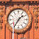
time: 1:35
